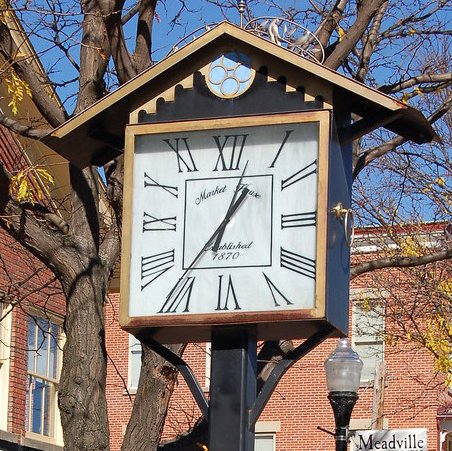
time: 1:02
